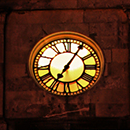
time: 7:05
